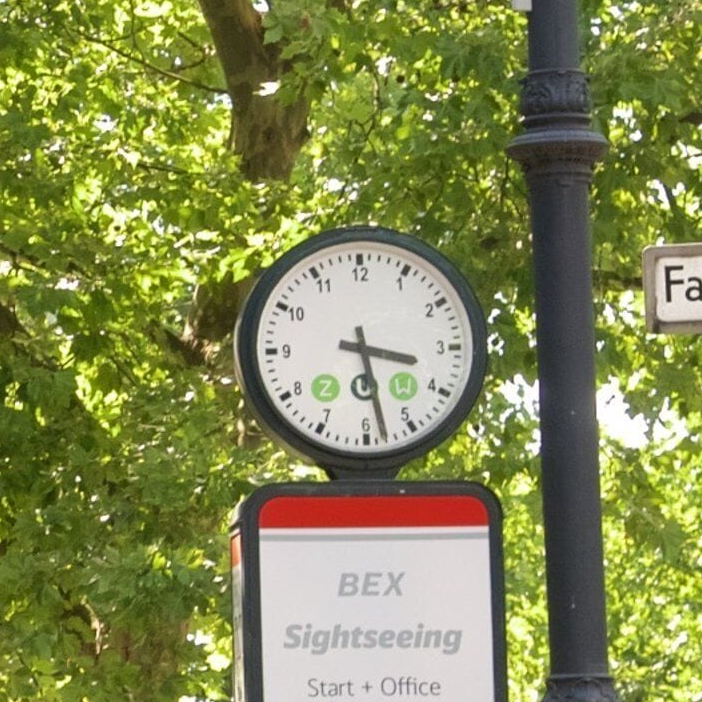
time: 3:28
